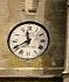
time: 11:40
